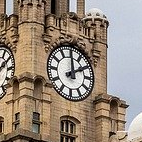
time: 1:59
